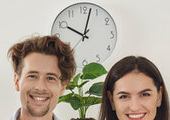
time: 10:02
